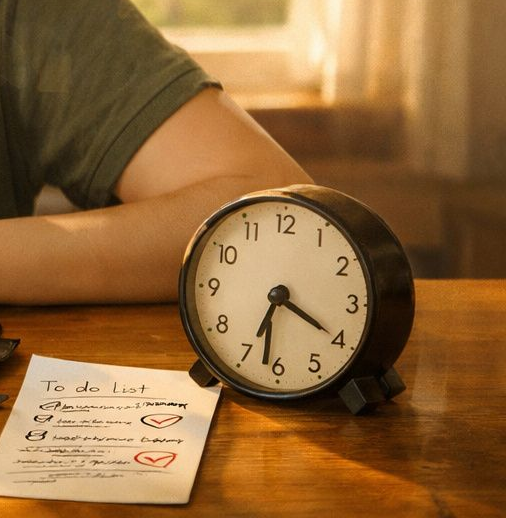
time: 6:19
